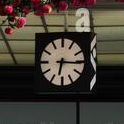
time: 6:15
